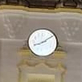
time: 8:09
